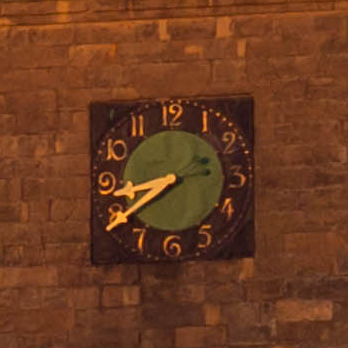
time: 8:39
